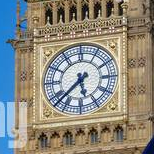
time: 5:37
